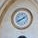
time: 1:40
